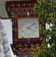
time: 4:08
